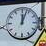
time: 12:03
